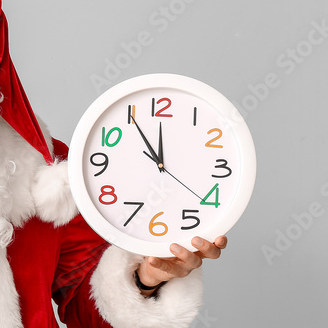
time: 11:54
